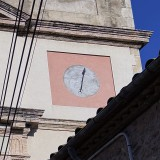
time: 12:32
